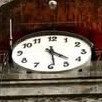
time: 4:28
